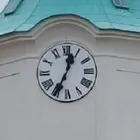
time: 12:34
